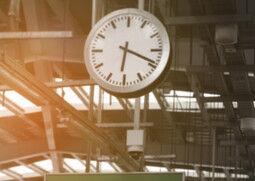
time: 6:18
